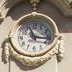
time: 11:16
